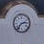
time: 2:36
